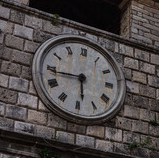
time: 5:43
